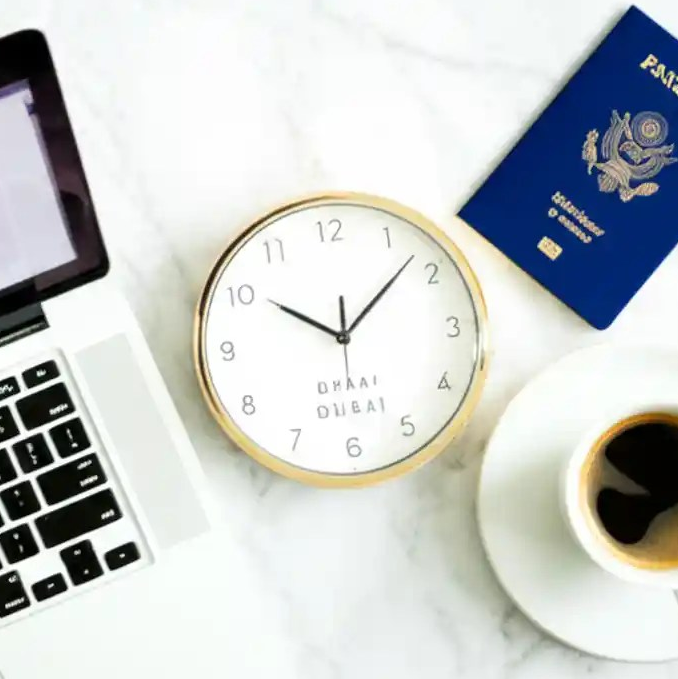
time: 10:07
